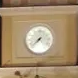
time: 7:37
